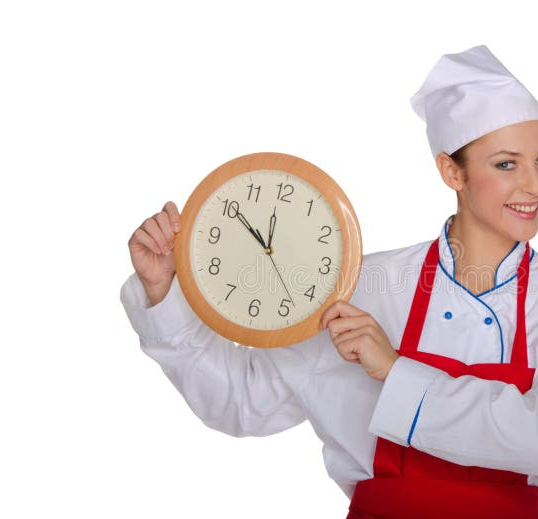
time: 11:50
